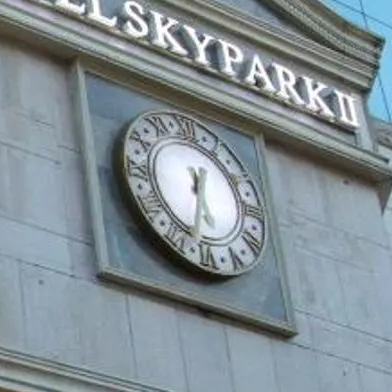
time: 5:32
